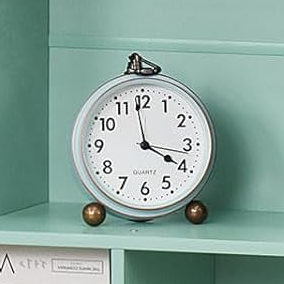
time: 3:58
